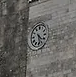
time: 4:28
